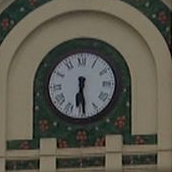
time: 6:29
